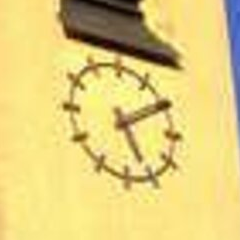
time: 5:09
